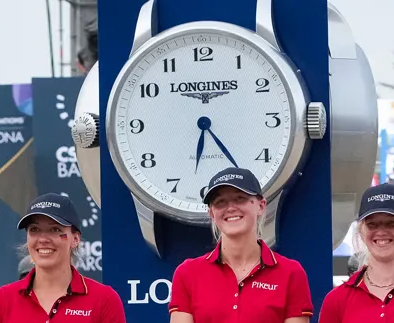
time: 6:23
